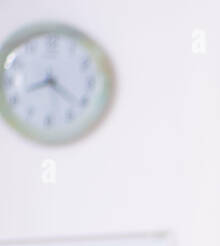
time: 8:21
